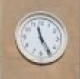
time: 11:24
